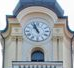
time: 10:56
